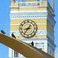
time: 8:36
